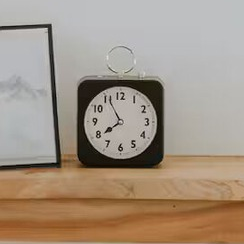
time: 7:55
